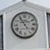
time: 4:54
